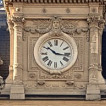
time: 10:16
